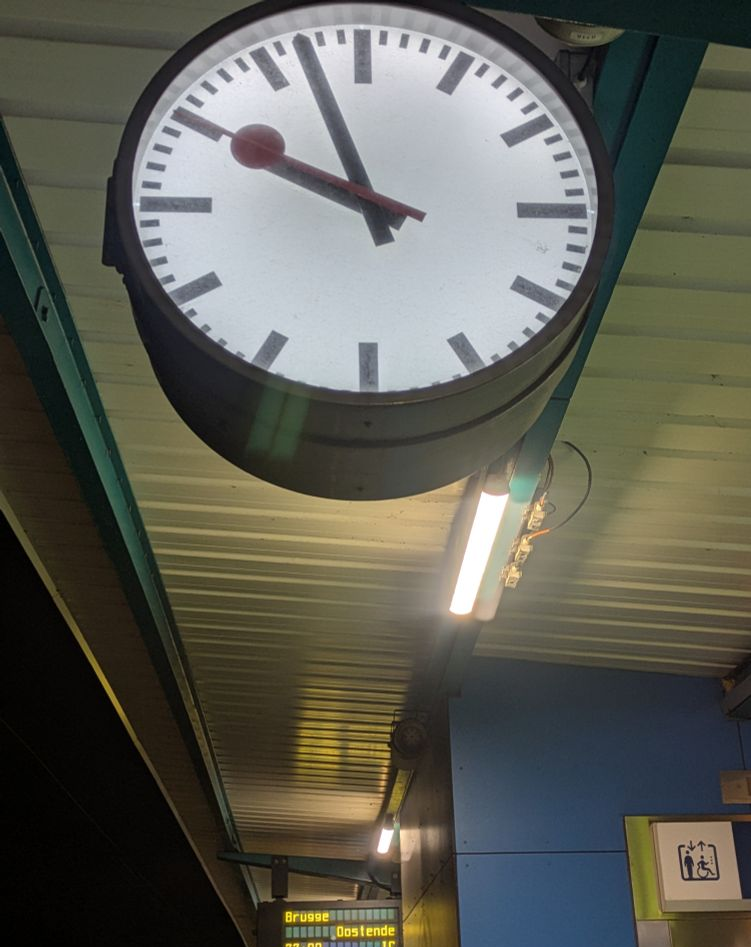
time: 9:56
